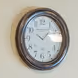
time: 10:07
